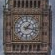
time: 1:16
